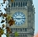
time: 9:14
